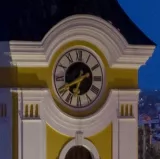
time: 6:40
